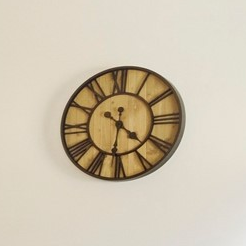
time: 4:31
